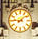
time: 9:08
